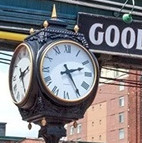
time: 2:24
